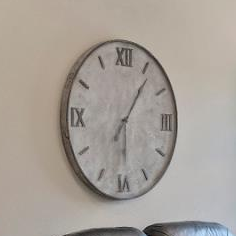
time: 6:06
